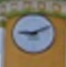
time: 9:10
